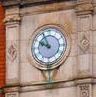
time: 9:55
